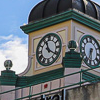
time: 11:20
